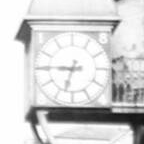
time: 6:45
